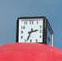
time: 2:33
